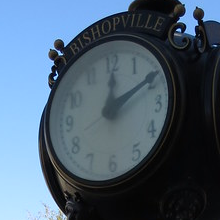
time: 12:10
